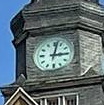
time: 3:02
